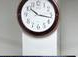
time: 10:16
